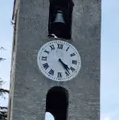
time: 4:23
